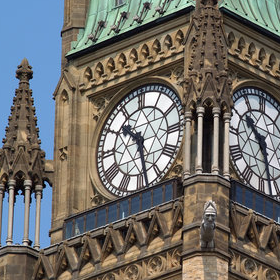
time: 10:28
